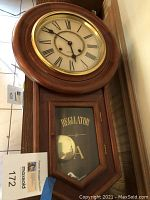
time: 5:49
